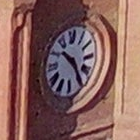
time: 10:24
